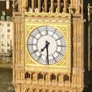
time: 7:29
